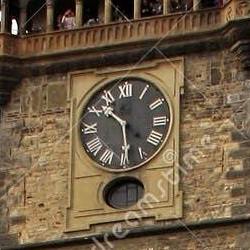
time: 10:29
